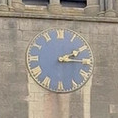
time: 2:15
